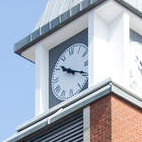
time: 10:19
